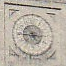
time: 4:44
